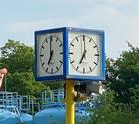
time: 7:00
